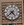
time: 4:37
